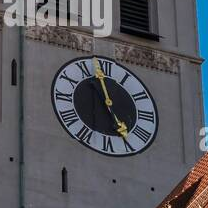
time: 4:57
